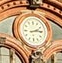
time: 2:14
